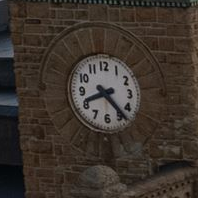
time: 8:23
